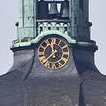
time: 11:37
